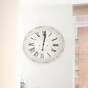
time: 6:01
